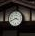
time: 3:41
